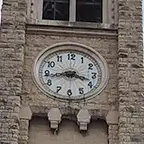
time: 3:43
